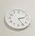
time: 2:24
